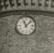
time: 11:07
